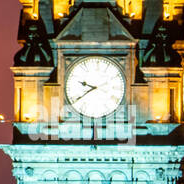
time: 9:39
